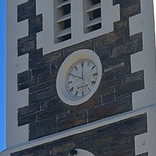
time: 10:00
